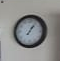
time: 1:06
